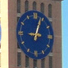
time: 9:03
